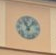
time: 11:07
